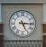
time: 5:15
